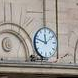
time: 11:47
